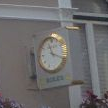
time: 11:18
